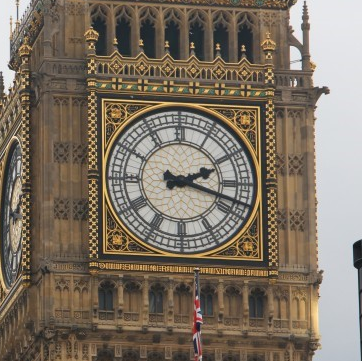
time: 2:18
